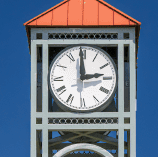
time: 2:59
